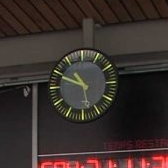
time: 10:49
